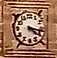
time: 4:17
